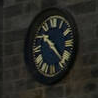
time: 10:22
